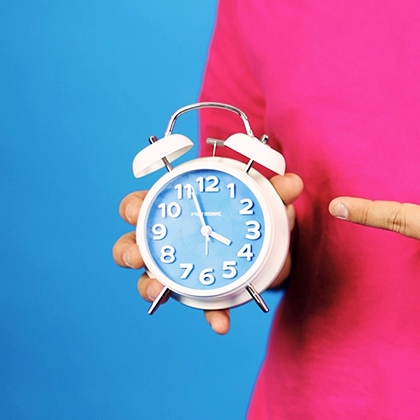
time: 3:57
